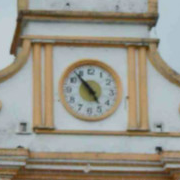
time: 4:53
